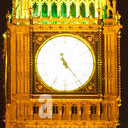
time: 11:23
